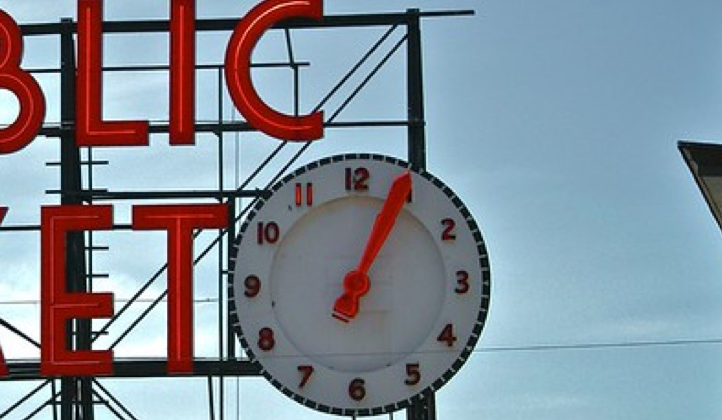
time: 1:04
